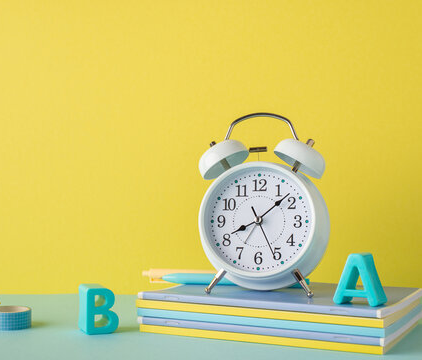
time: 8:07
